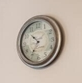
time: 10:35
